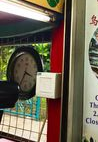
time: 3:35
